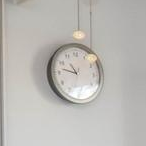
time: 10:46
